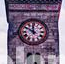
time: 11:50
